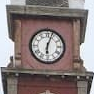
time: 6:03
